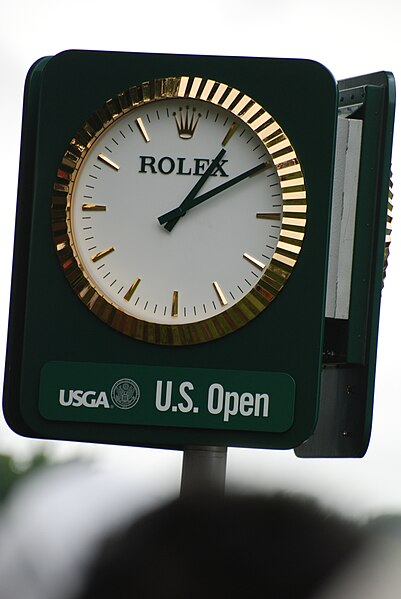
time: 1:09
